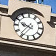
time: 9:36
